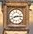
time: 8:14
